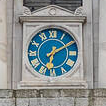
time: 6:10
